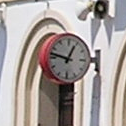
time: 12:47
